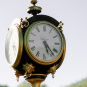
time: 5:23
